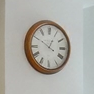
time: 12:50
